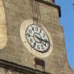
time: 4:16
